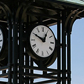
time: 12:49
